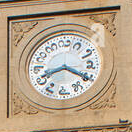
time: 8:20
